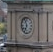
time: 6:56
